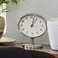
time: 1:02
